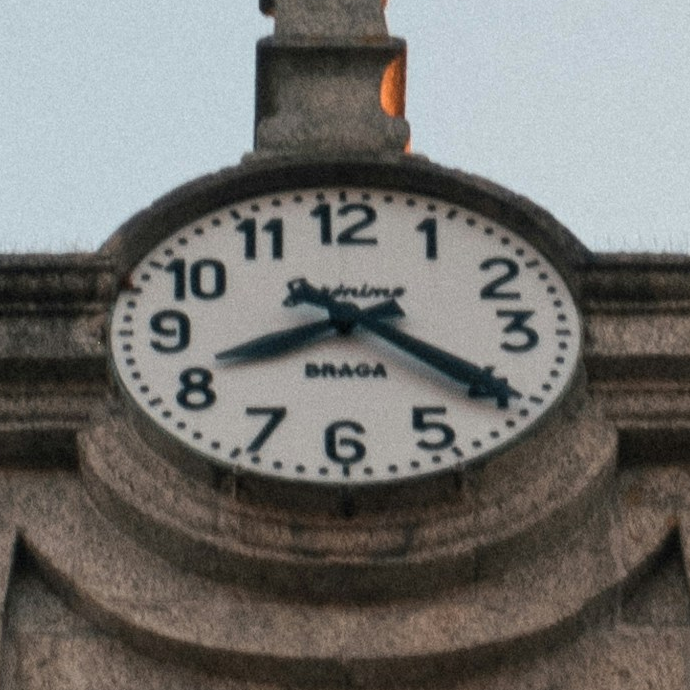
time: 8:20
